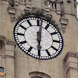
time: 6:01
